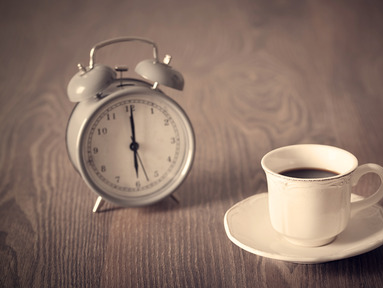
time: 6:00
